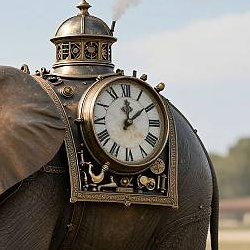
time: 12:09
